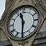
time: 11:30
